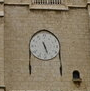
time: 5:26
